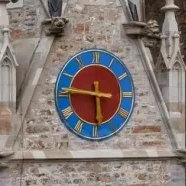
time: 5:46
